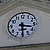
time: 3:29
